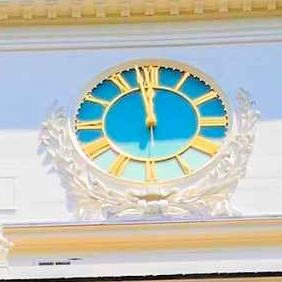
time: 11:58
